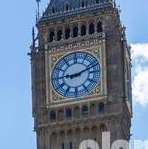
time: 9:11
